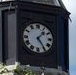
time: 1:24
